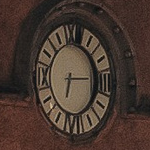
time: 6:14
